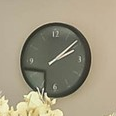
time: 2:08
